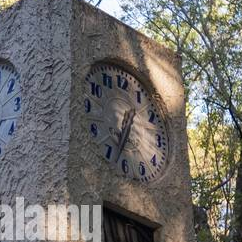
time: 6:34
